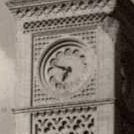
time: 6:48
